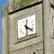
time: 12:21
